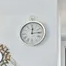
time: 12:14
